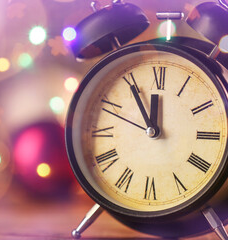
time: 11:54
